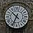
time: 10:34
